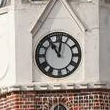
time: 11:01
